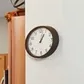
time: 1:02
